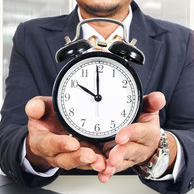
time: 9:59
